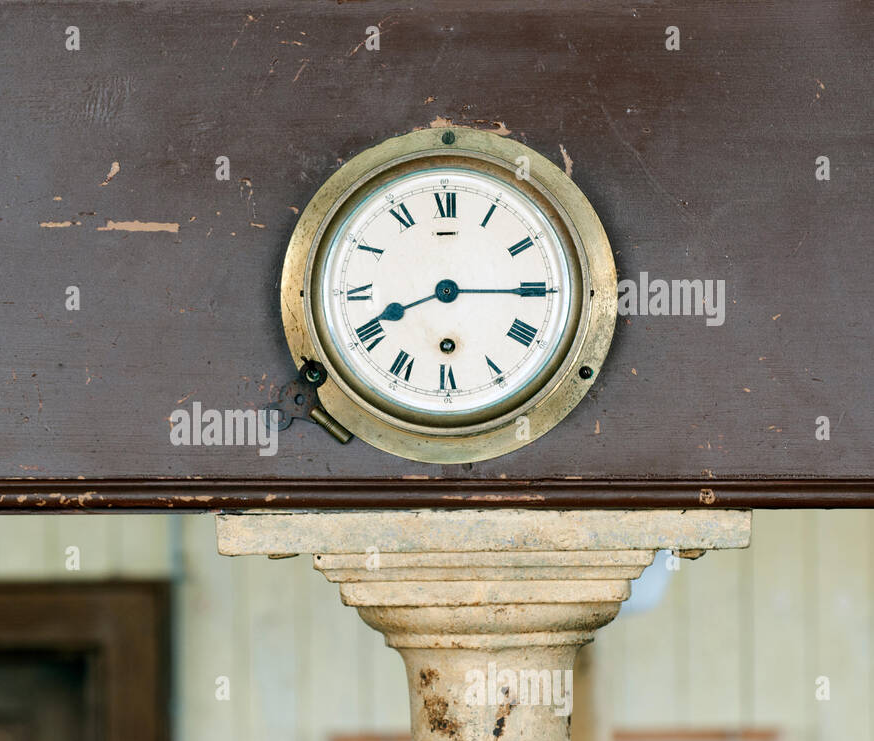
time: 8:15
